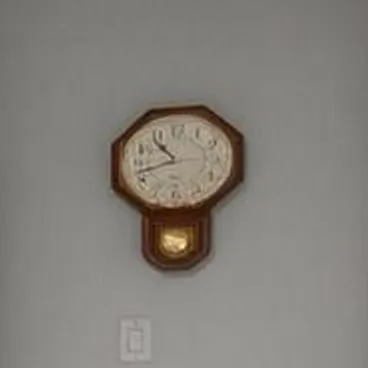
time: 10:42
